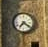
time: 7:20
